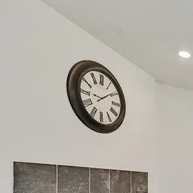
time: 9:09
